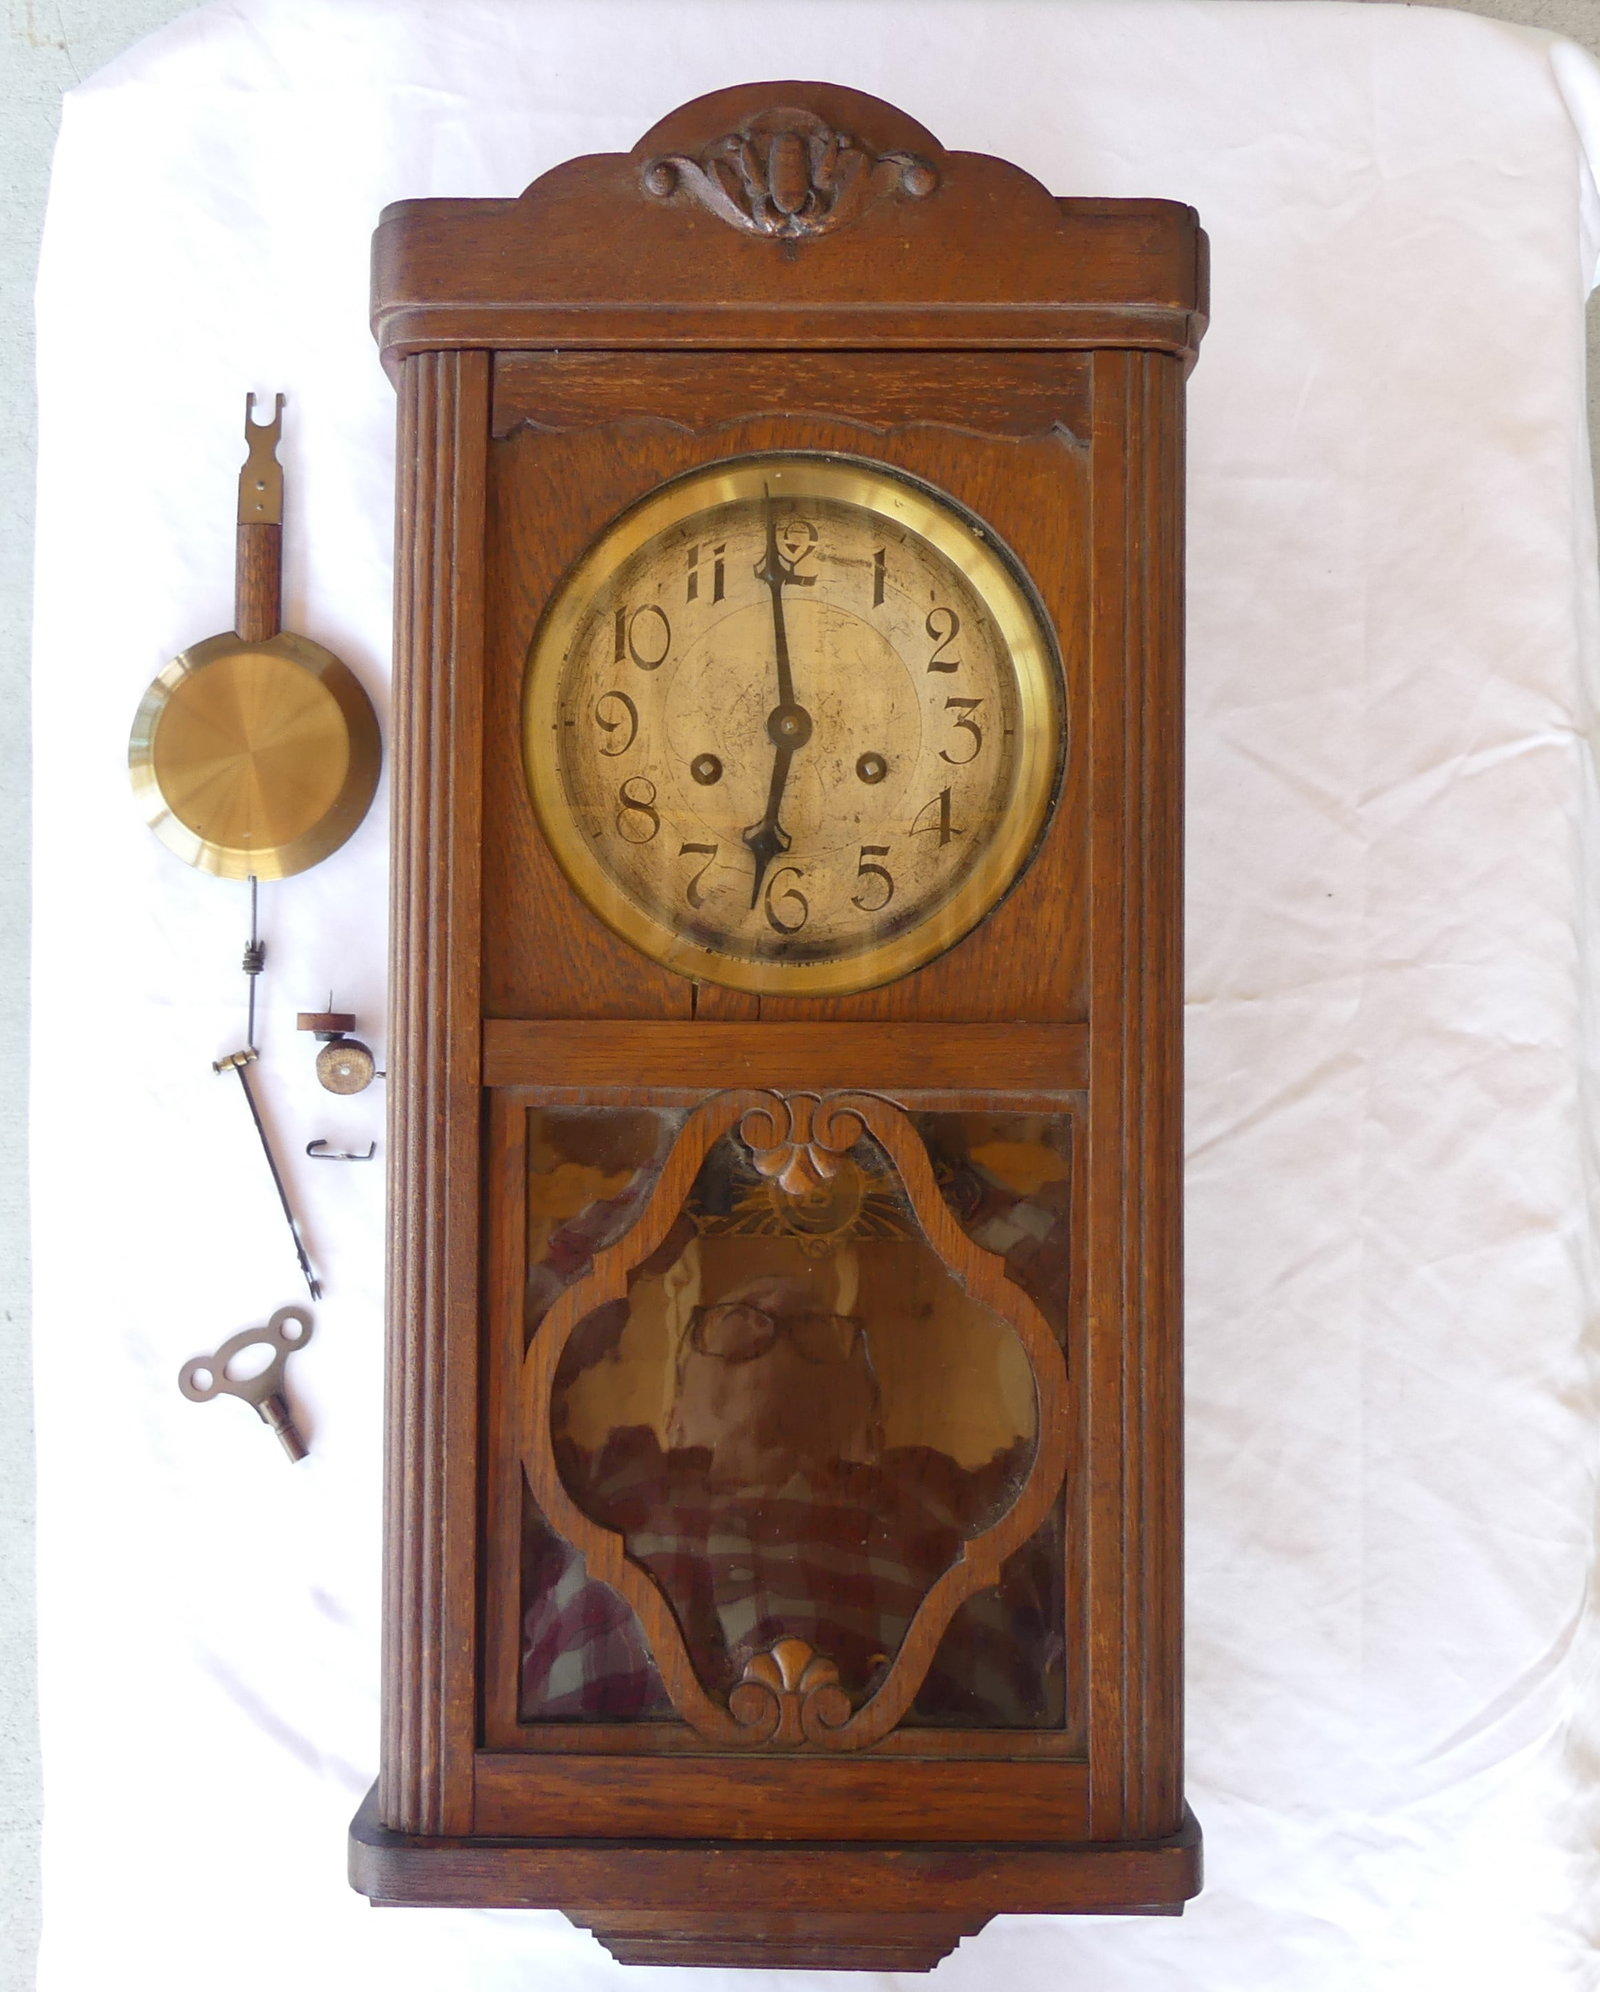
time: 7:00
